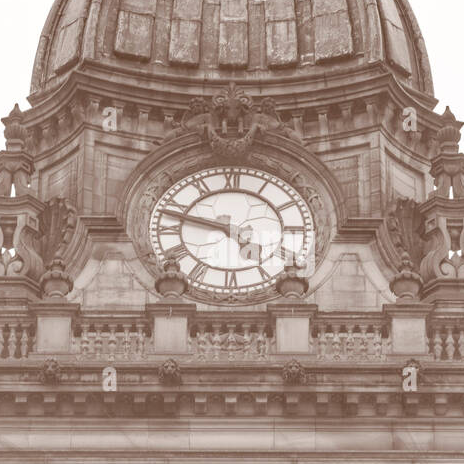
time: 4:47
